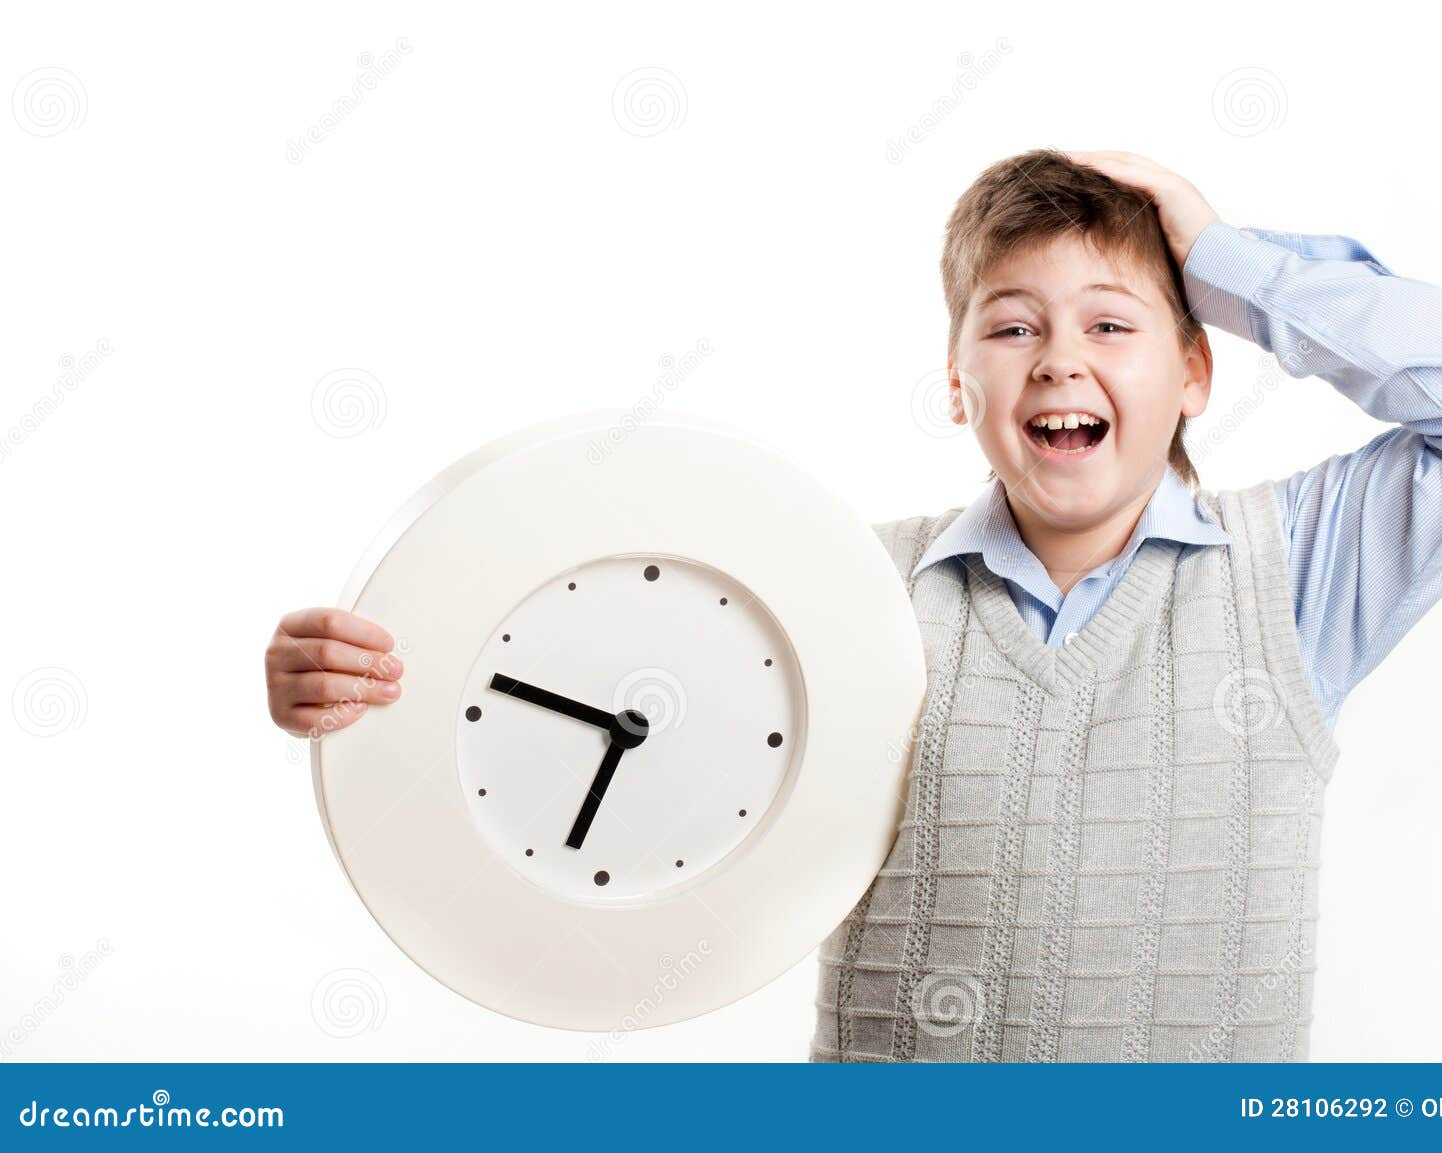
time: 6:46
